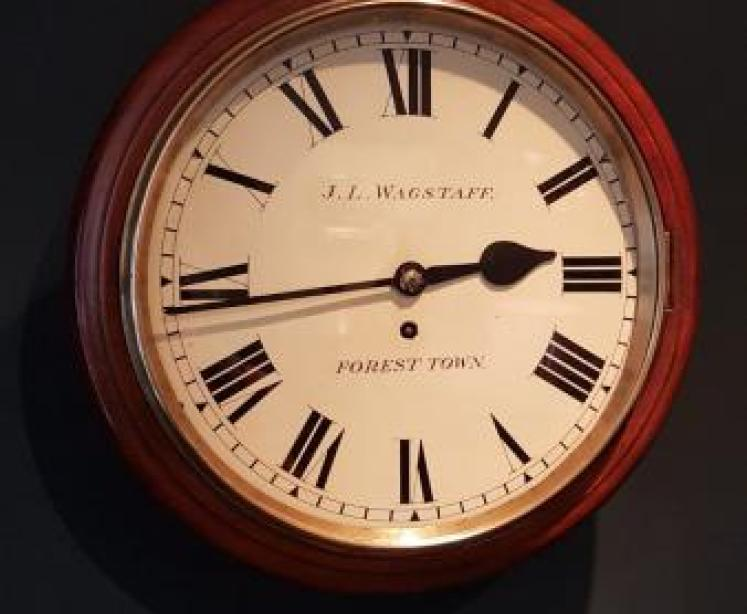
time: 2:43
